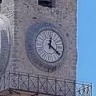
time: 12:20
